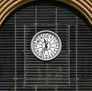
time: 11:35
